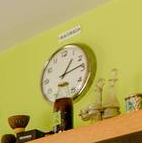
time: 1:13
